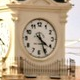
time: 4:26
